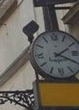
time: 2:19
